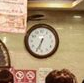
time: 6:34
